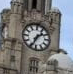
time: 1:34
